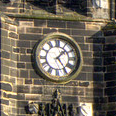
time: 1:24
